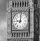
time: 9:01
